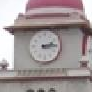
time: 2:14
